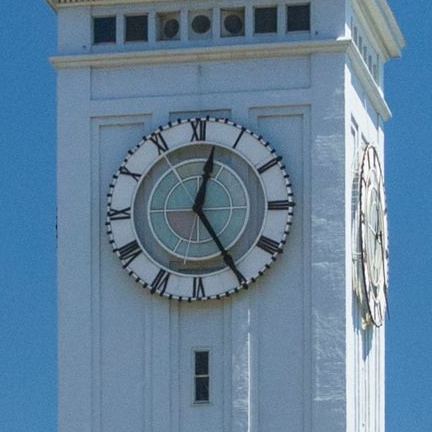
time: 12:24
